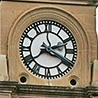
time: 2:19
